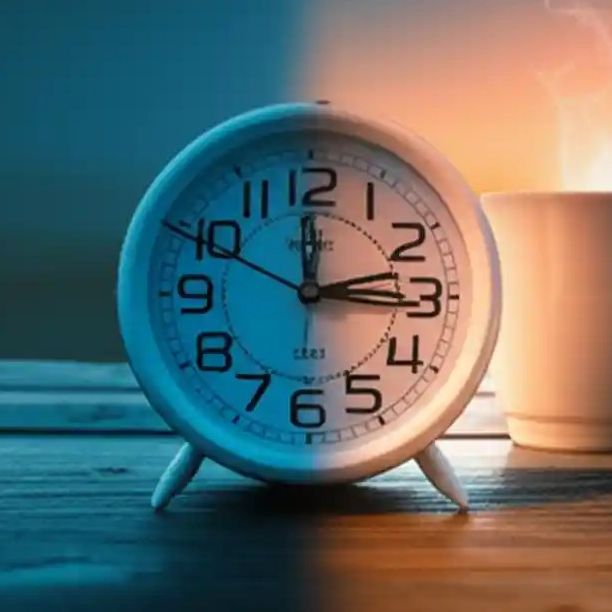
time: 3:11
